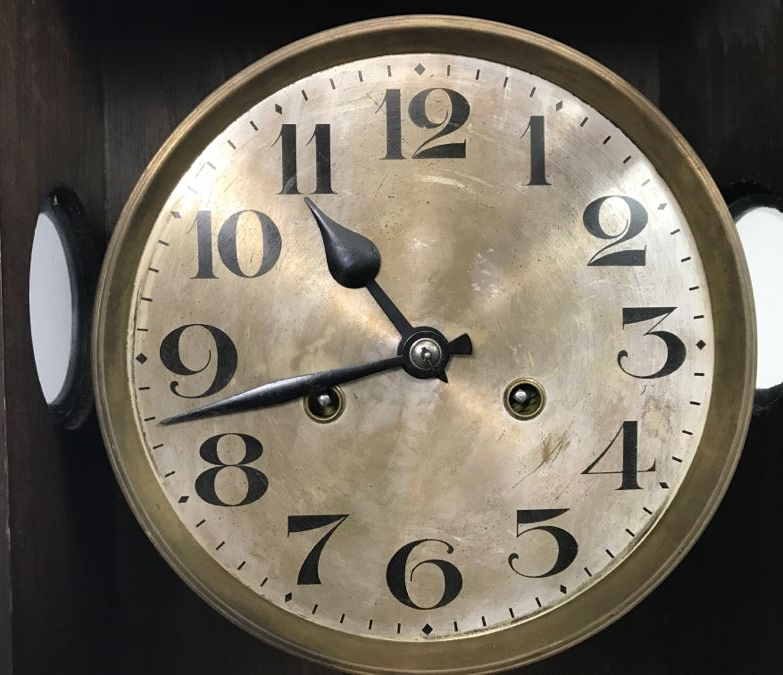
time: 10:42
